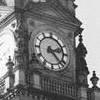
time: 2:22
